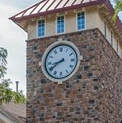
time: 8:40
